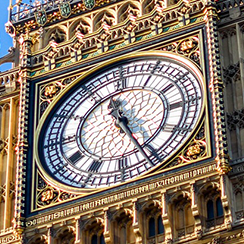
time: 11:25
